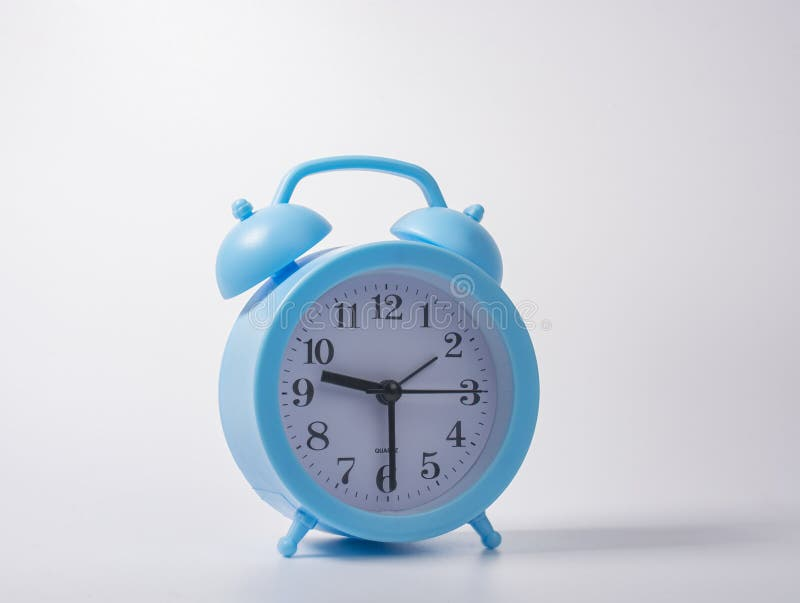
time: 9:29
